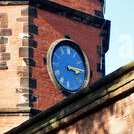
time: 3:14
